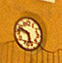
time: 5:48
